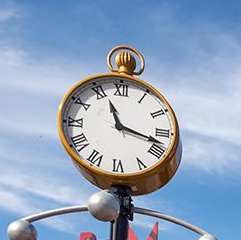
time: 11:17
